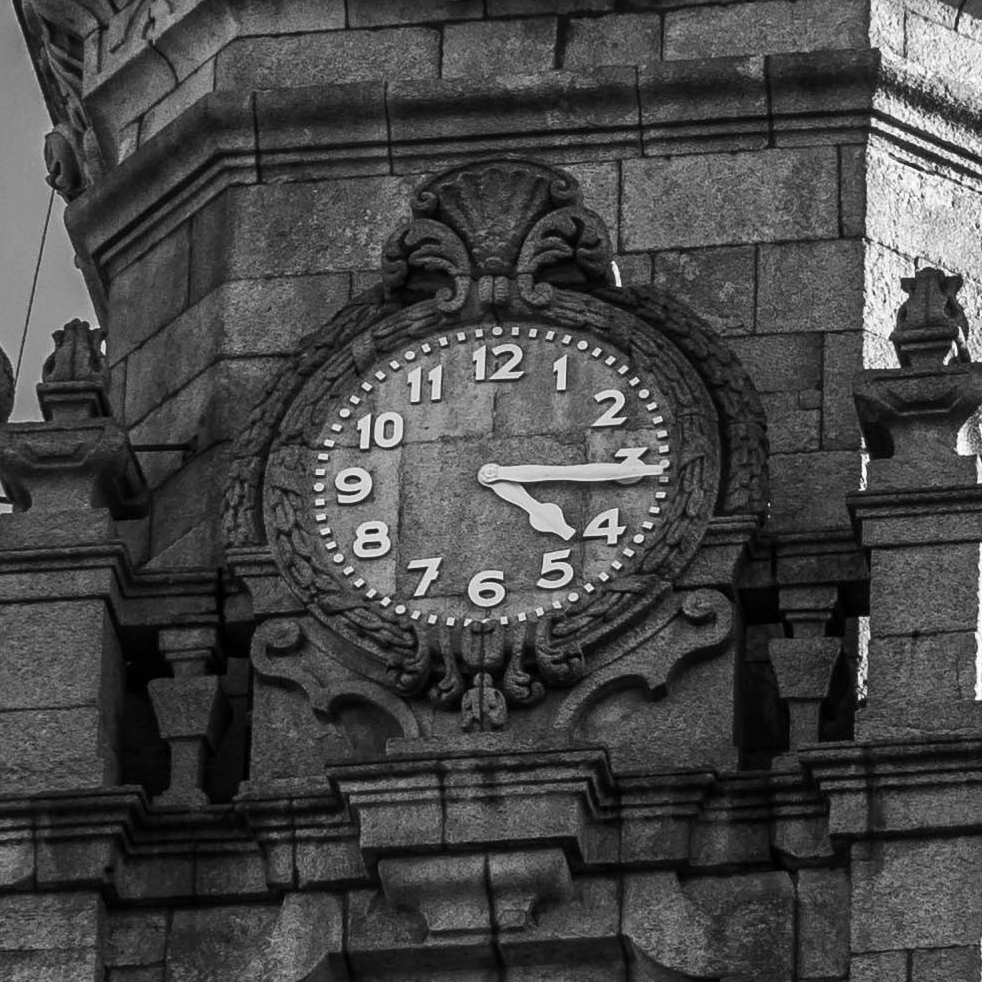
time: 4:15
